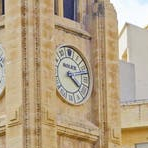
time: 4:12
